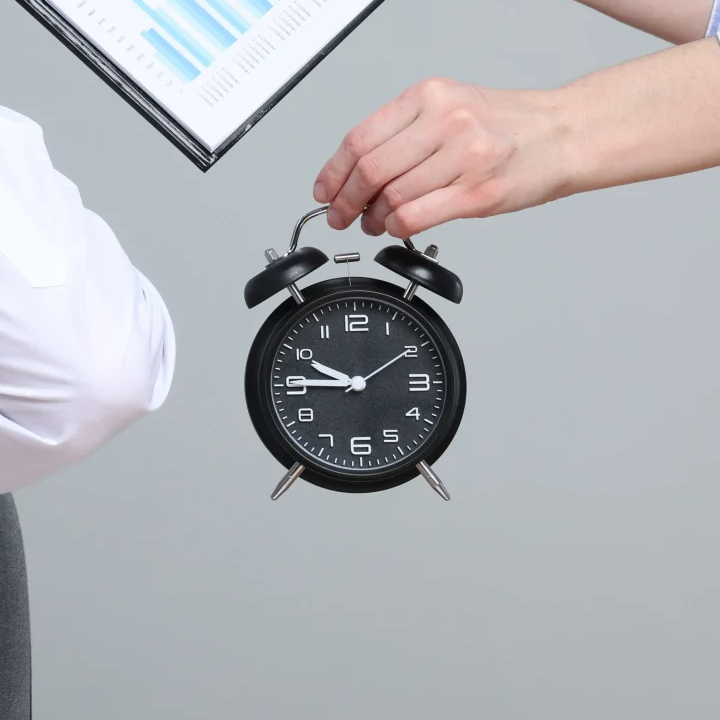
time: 9:45
